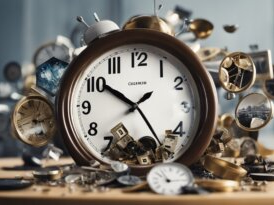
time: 10:24
